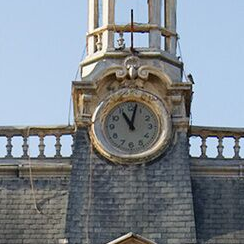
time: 11:02
